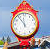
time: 11:53
